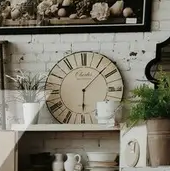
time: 6:07
